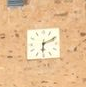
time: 6:11
